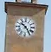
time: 10:24
